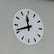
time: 11:41
